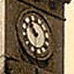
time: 9:50
